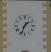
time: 1:33
